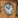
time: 10:02
